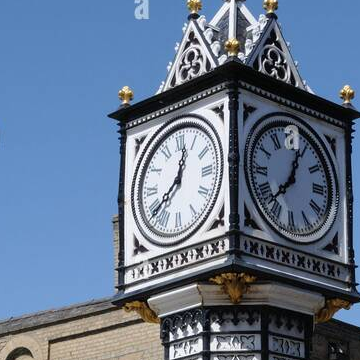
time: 12:38
